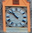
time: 10:51
